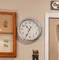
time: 10:34
